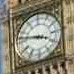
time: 3:46
